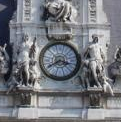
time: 3:40
